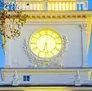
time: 6:28
